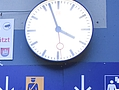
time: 3:57
